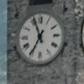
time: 6:56
